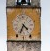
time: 4:34
